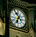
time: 6:54
